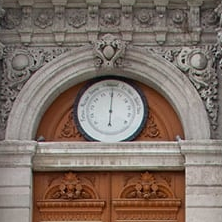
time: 6:00
